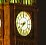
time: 8:37
